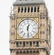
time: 12:28
